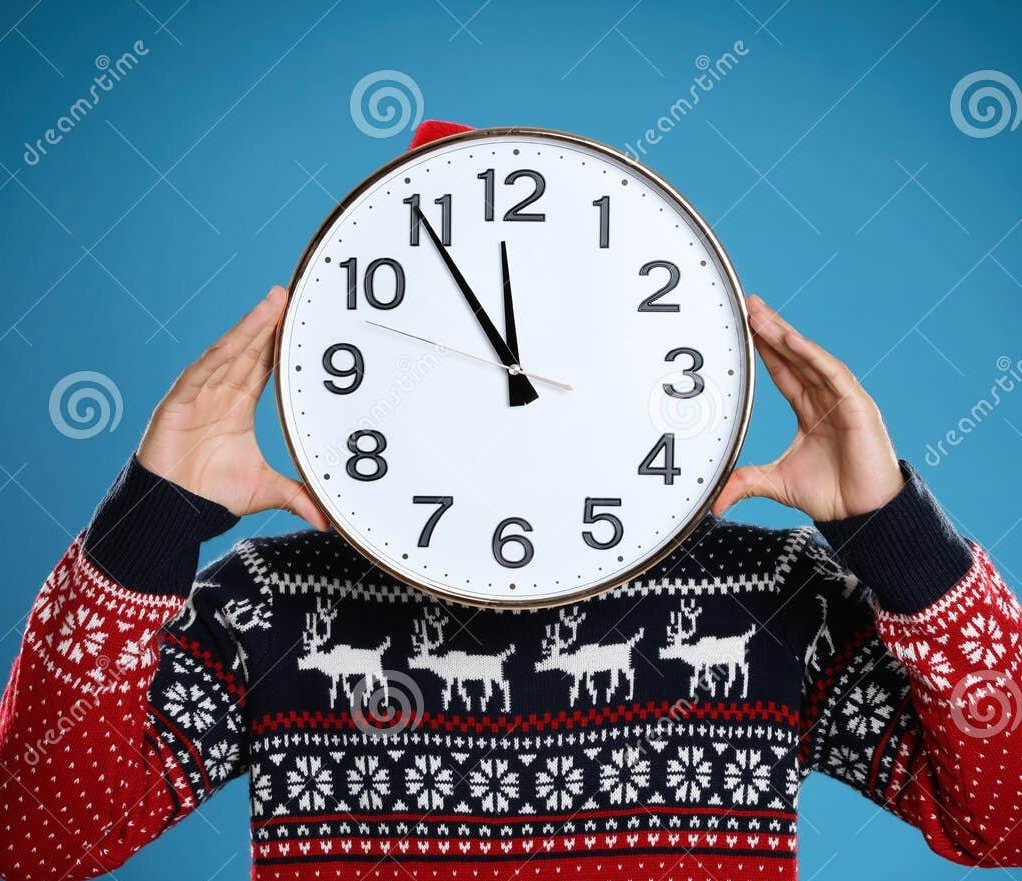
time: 11:54
